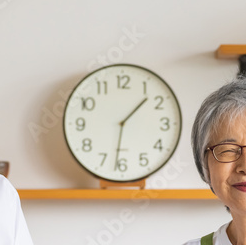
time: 1:31
